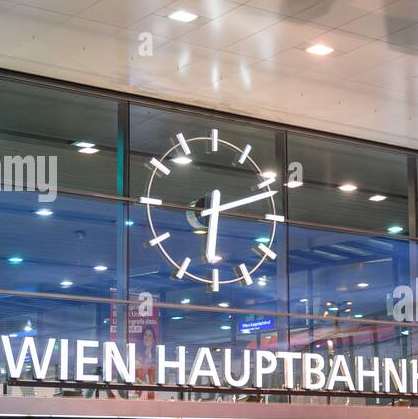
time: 6:11
